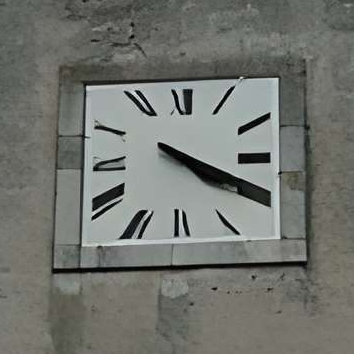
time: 4:19
